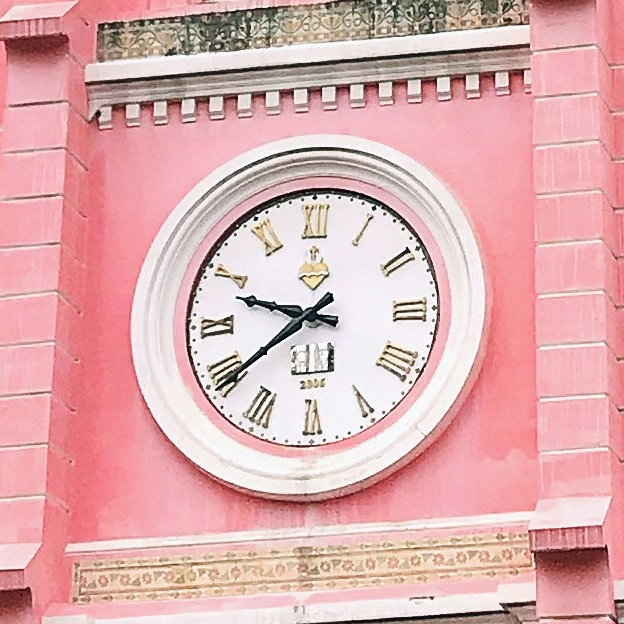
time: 9:39
